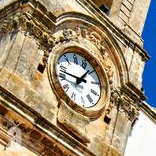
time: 1:47
